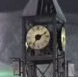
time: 7:11
